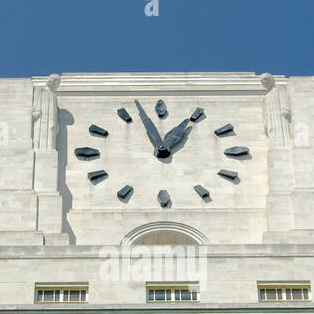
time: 12:57
